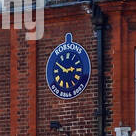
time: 2:50
